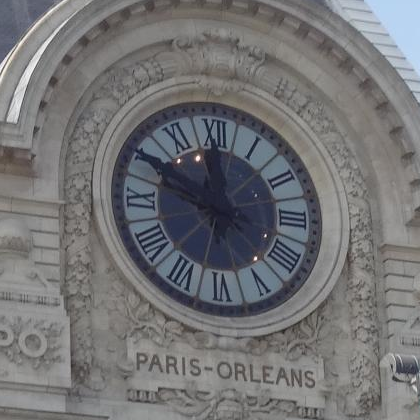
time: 11:49
